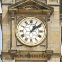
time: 1:09
